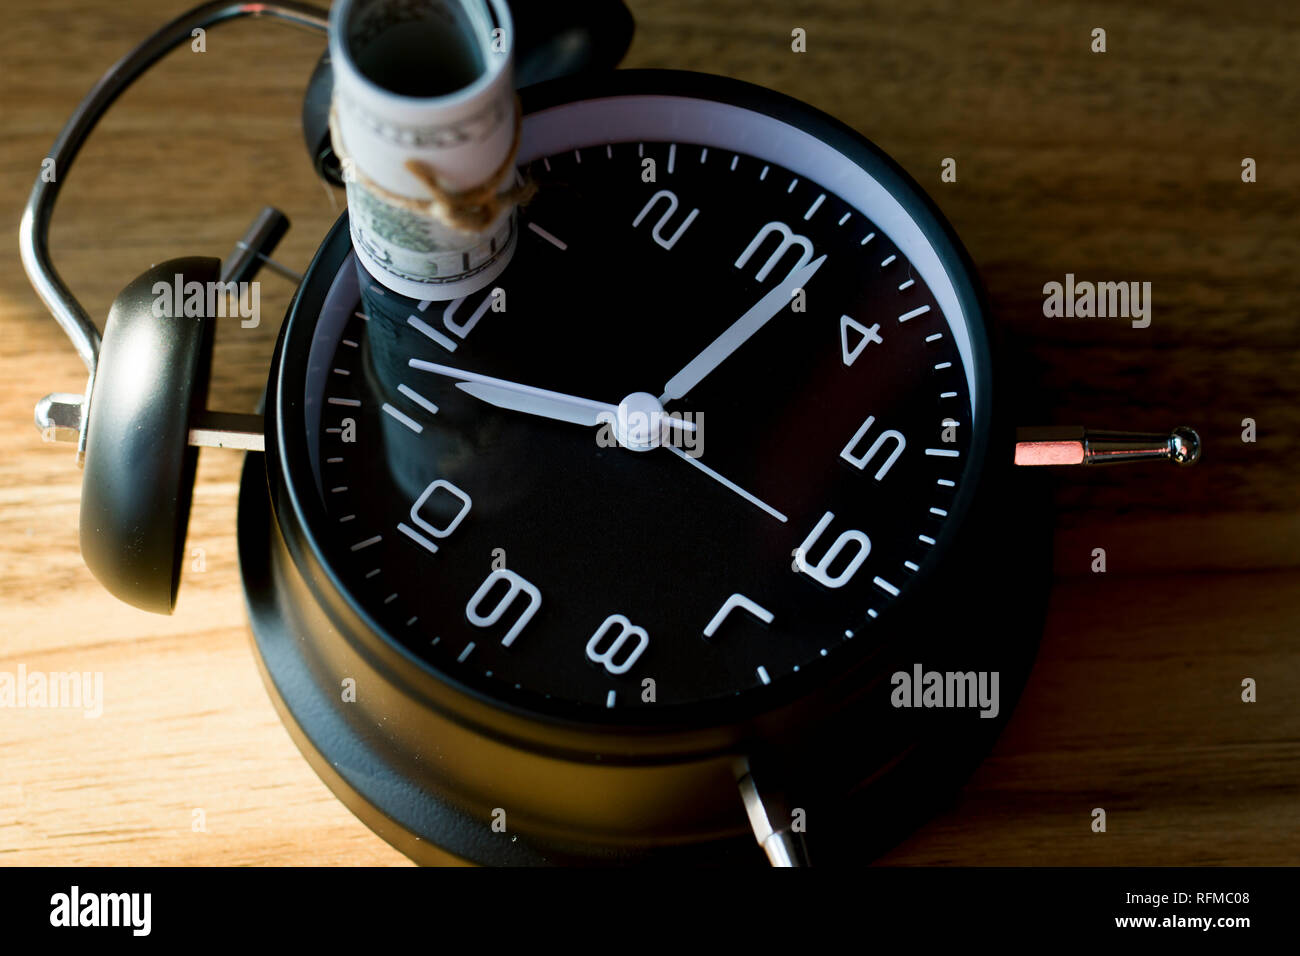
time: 9:06
